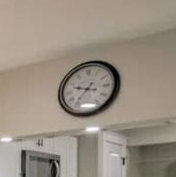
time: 9:36
